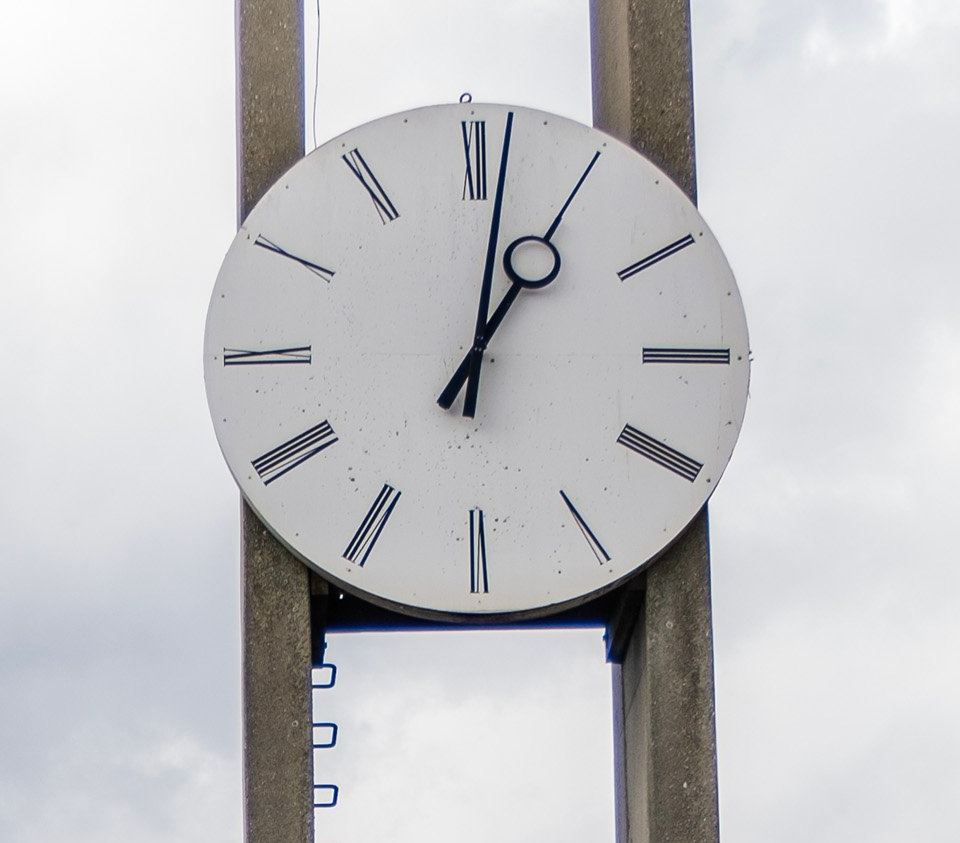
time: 1:01
